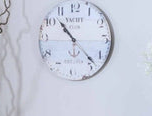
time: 10:22
